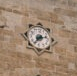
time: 2:36
